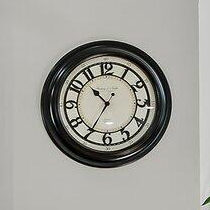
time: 10:34
